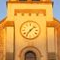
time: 7:07
